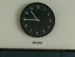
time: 10:45
